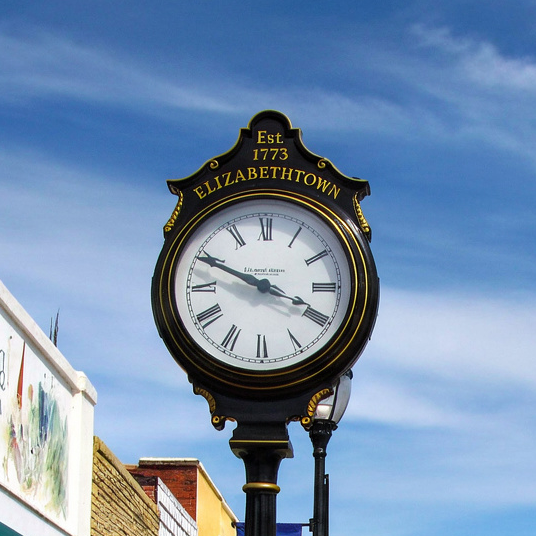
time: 3:48
